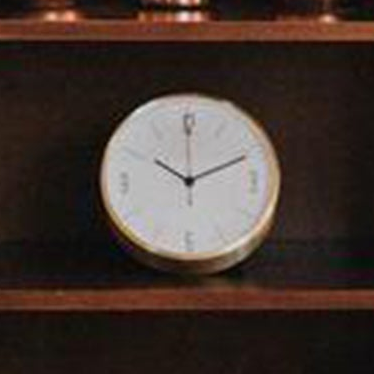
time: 10:11
